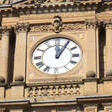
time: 12:05
